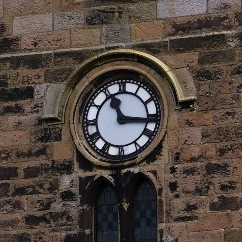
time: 11:16
